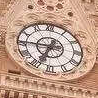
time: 6:45
